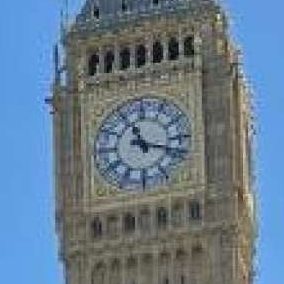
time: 11:17
